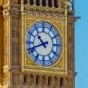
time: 10:41
